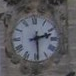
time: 2:29
